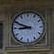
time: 8:49
